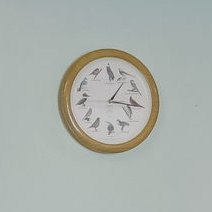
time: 1:16
